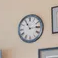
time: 11:13
